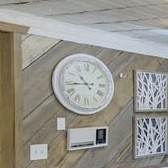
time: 10:43
